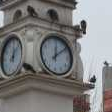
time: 12:08
